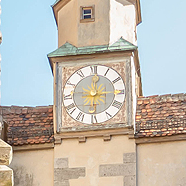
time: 12:14
